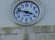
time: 3:47
